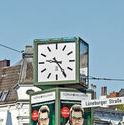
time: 9:24
